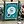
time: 10:36
